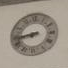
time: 8:43
